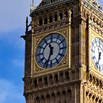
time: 11:33
